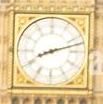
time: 8:12
